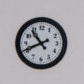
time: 10:41
